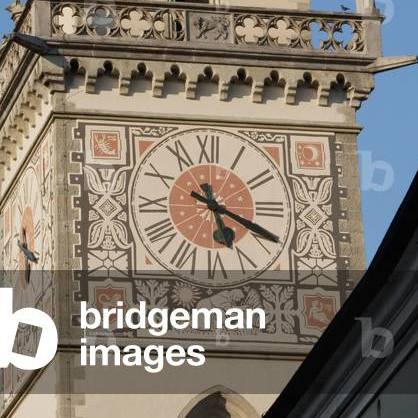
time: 5:19
